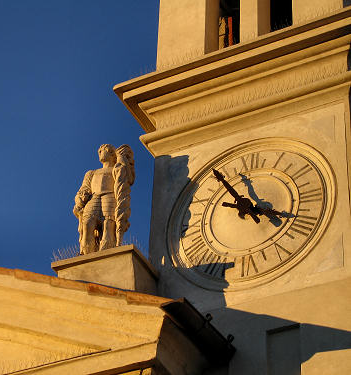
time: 3:54
